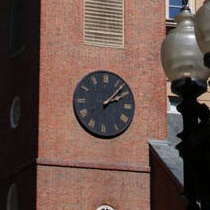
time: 2:07
